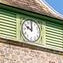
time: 10:00
